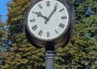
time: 10:06
